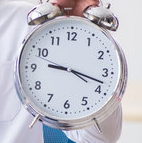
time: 9:17
